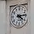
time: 4:14
